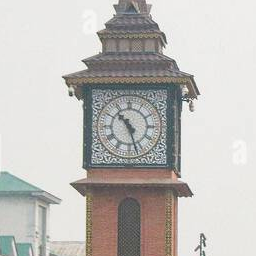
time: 10:27
